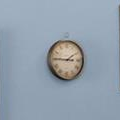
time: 1:45
